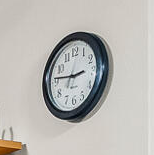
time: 2:46
